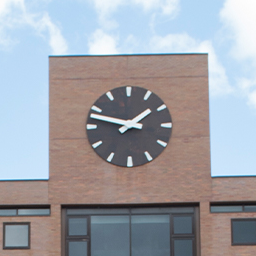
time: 1:47
